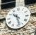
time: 10:28
